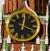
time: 12:18
